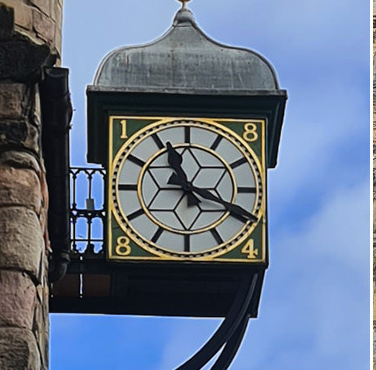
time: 11:18
